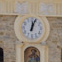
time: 12:03
